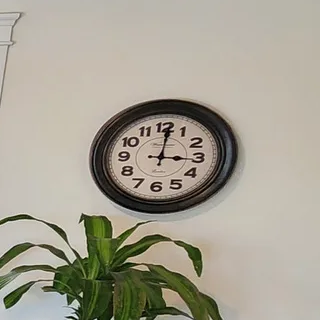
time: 3:01
